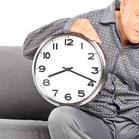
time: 8:18
